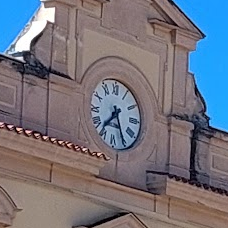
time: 7:25
